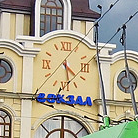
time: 4:27
